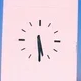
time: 5:29
